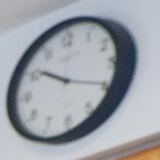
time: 10:19
